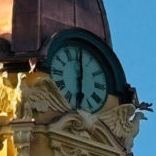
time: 6:00
